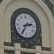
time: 2:35
